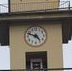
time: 4:48
